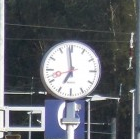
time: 6:58
